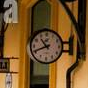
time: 10:41
